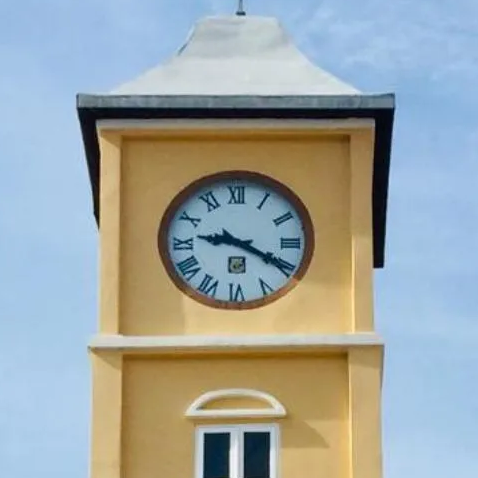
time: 9:19
